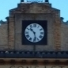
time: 10:28
